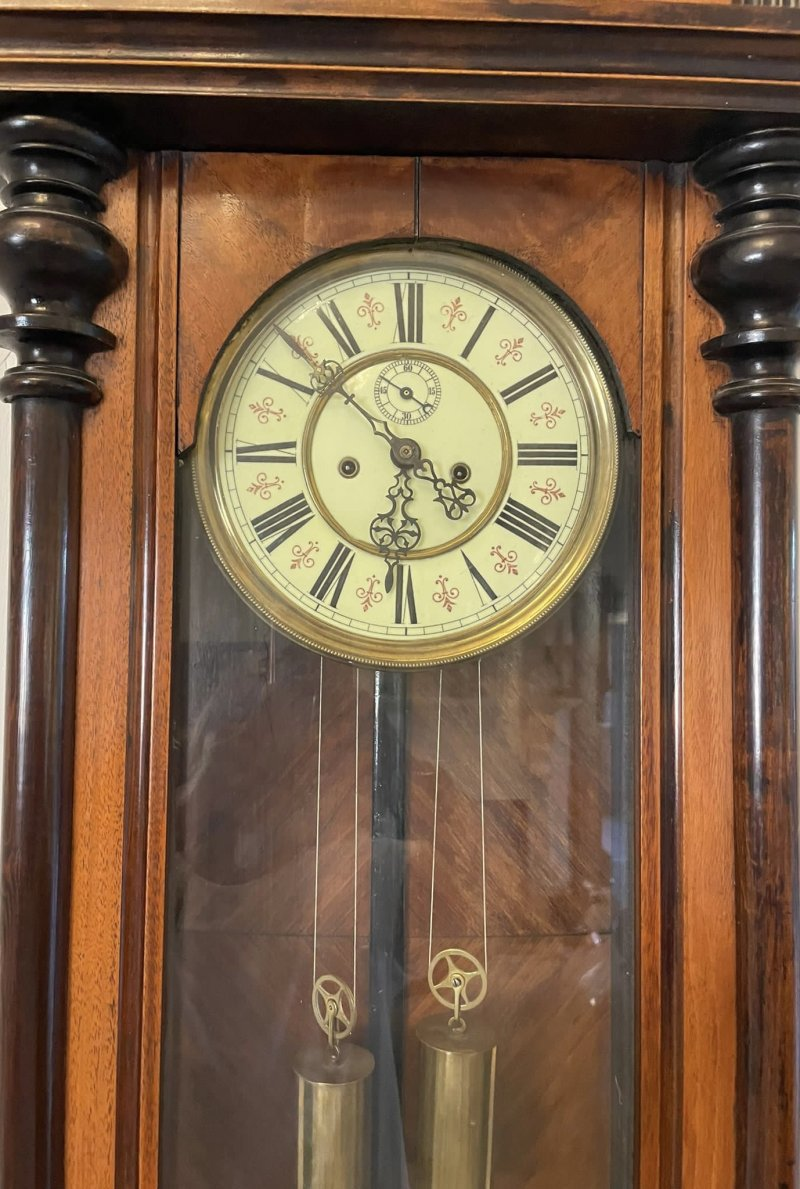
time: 5:51
